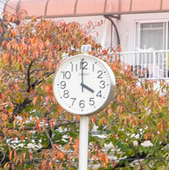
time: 3:59
